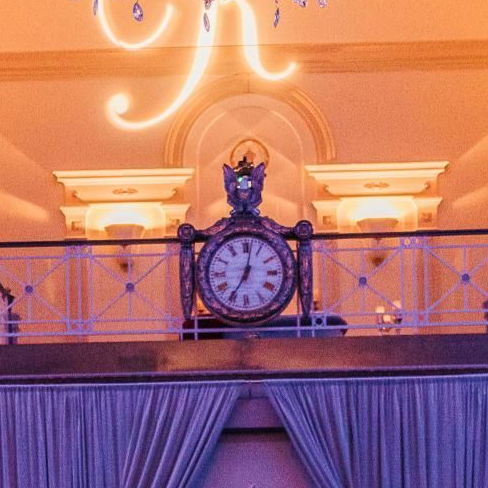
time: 7:01
